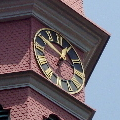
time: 12:50
